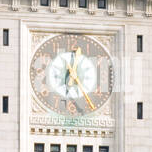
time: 5:01
